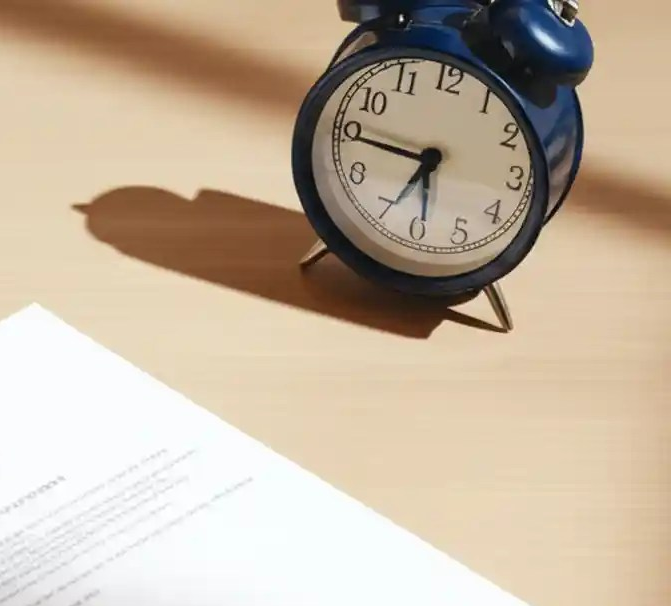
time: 6:45
